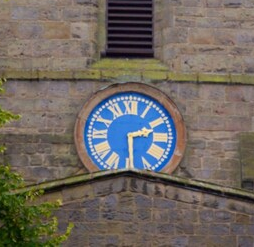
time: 2:29
